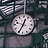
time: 12:34
